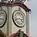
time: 3:42
